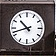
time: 10:42
